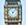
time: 11:07
